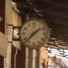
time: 1:37
